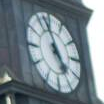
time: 4:57
